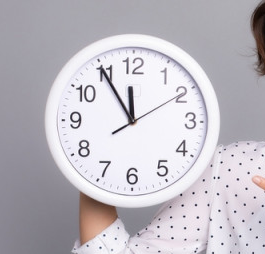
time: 11:54
